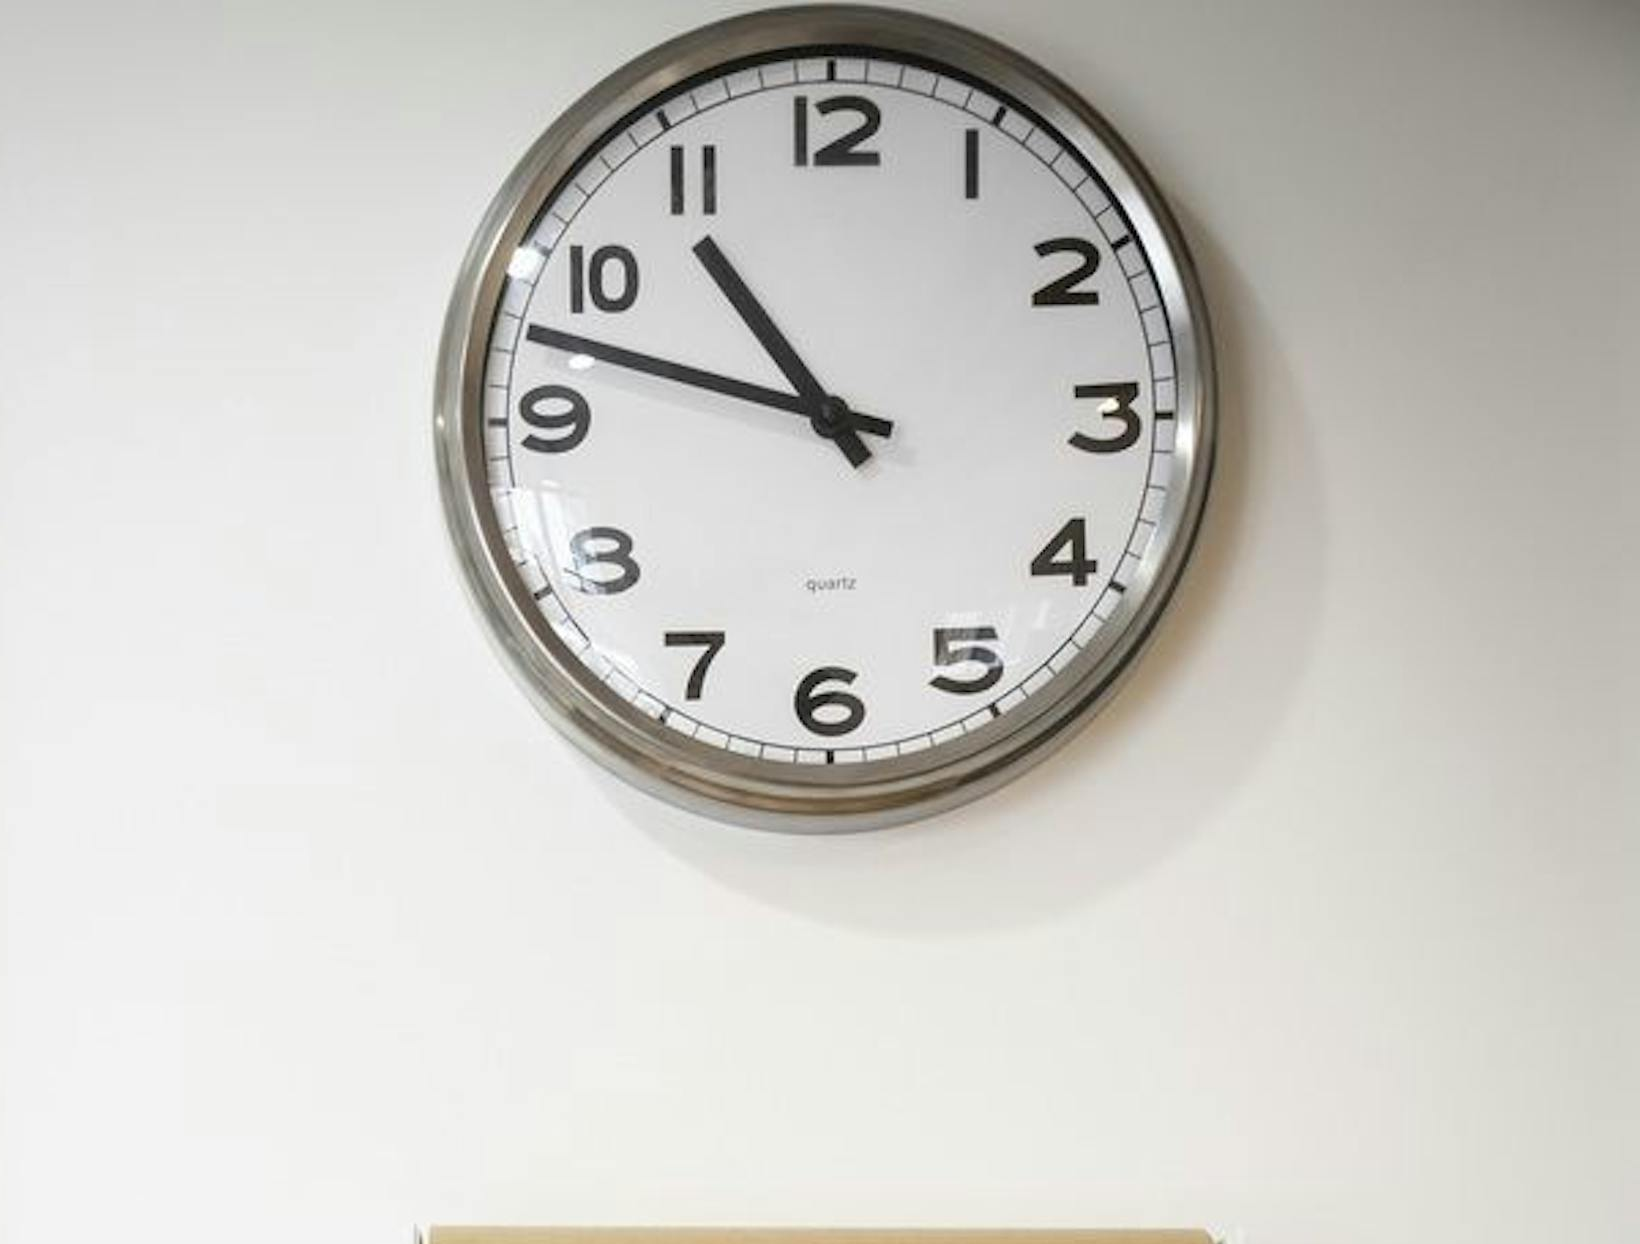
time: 10:47
